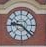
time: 9:22
